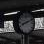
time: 8:11
